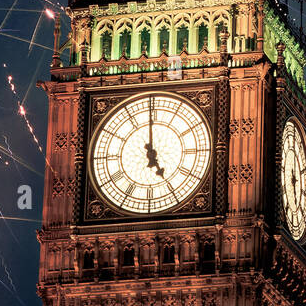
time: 4:59
